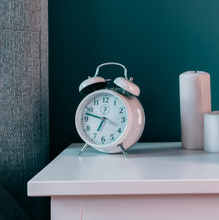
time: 6:47
